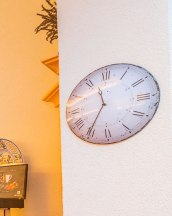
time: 11:35
